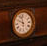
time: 9:57
